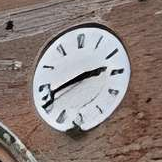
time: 2:41
